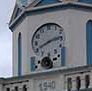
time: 8:12
